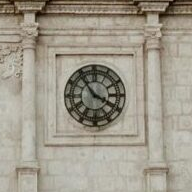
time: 3:53
